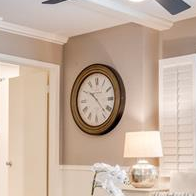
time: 10:22
